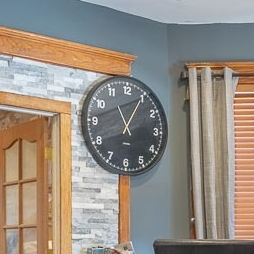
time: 11:04
